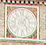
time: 1:23
